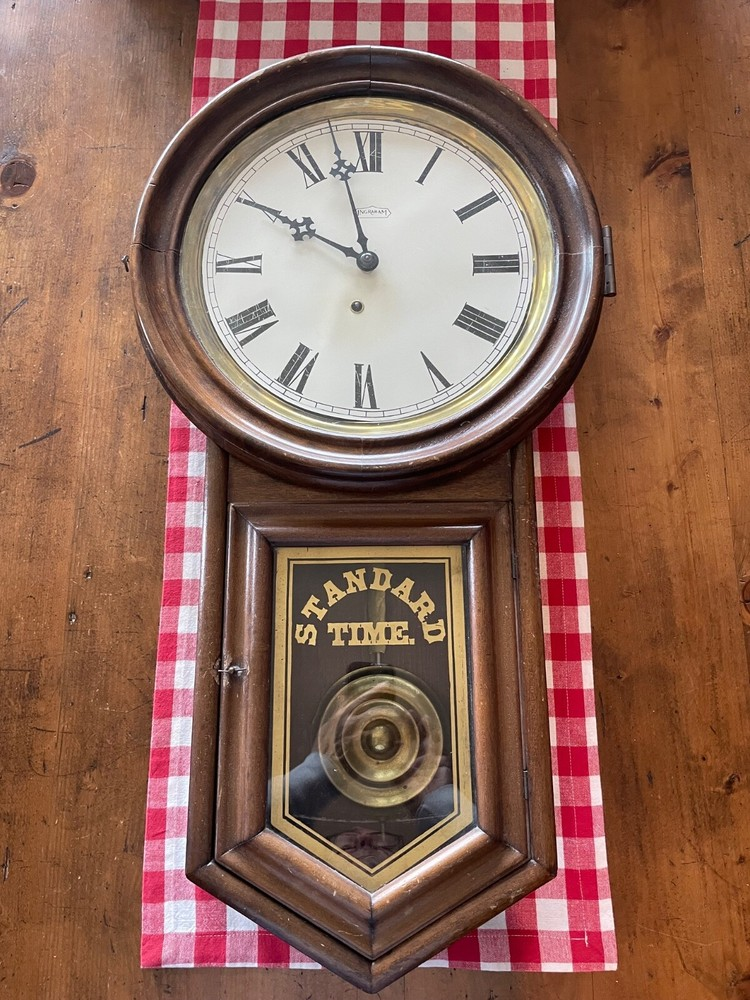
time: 9:57
